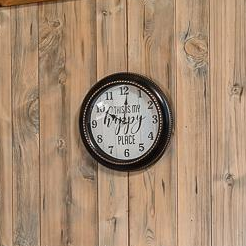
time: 10:00
